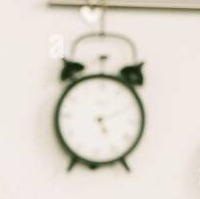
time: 5:11
